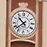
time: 10:38
